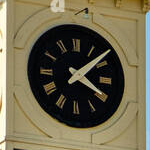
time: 4:08
